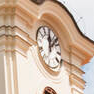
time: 12:07
